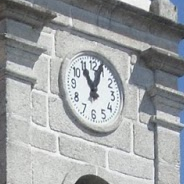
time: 11:03
